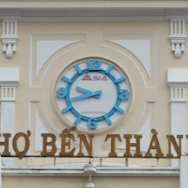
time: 9:42
